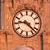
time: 9:22
